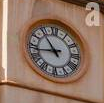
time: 10:43
